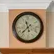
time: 11:37
